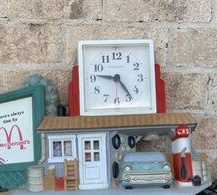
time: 9:23
